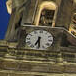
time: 6:28
